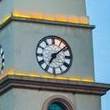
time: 7:08
